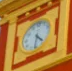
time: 4:31
